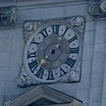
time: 7:36
